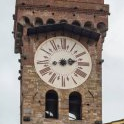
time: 2:12
